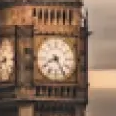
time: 8:24
